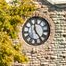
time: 11:24
